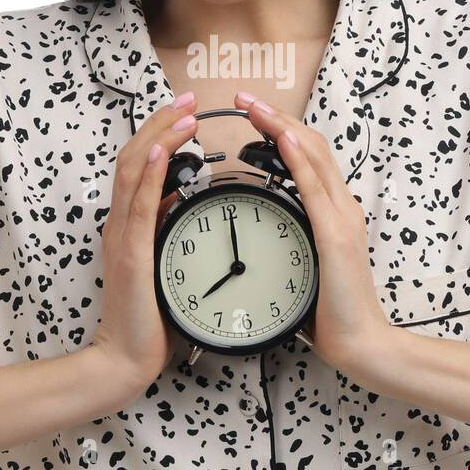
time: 8:00
